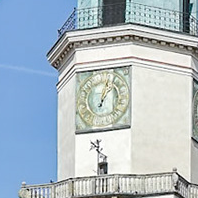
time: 1:02
